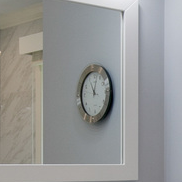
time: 11:02
